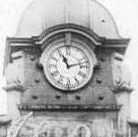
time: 11:12
